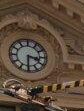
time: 3:30
